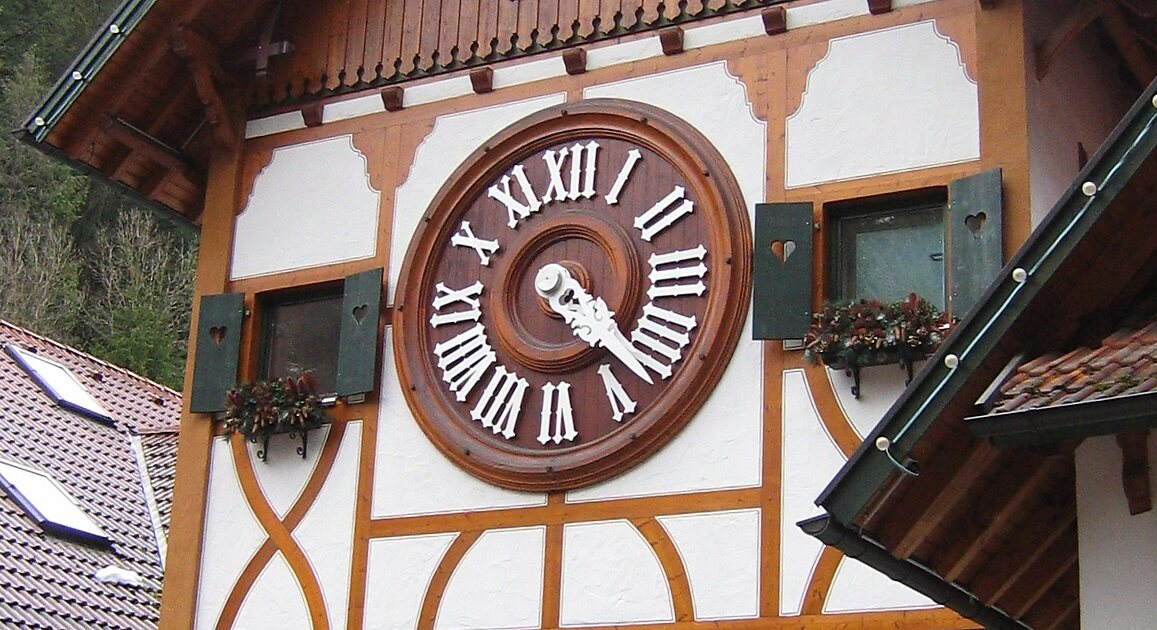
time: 4:22
